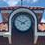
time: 1:50
